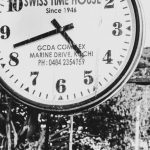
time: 4:42
